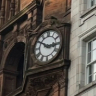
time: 2:50
